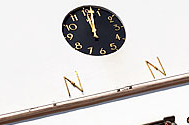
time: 12:02
